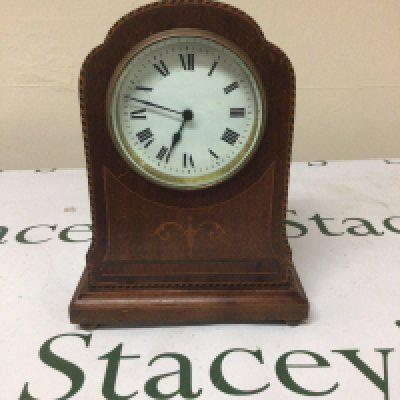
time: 6:47
